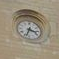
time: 3:33
